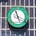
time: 4:57
